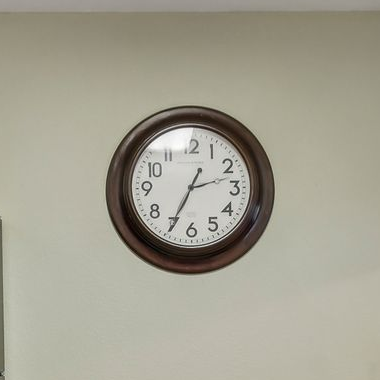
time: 2:34
